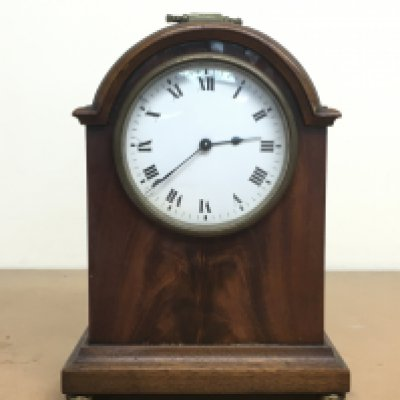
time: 2:38
